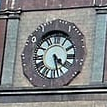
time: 4:27
